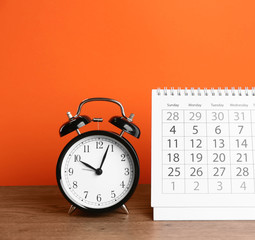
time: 10:03
